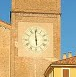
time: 5:59
